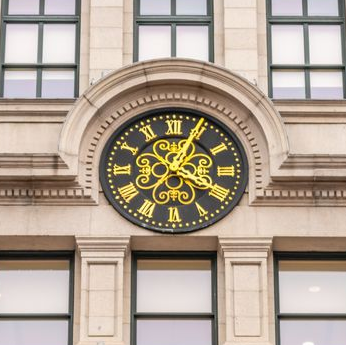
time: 4:04
